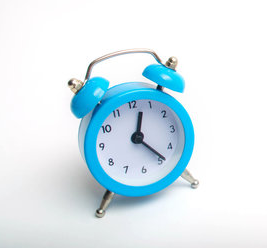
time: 12:23
